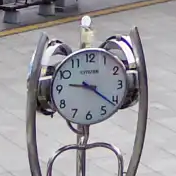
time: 9:21
